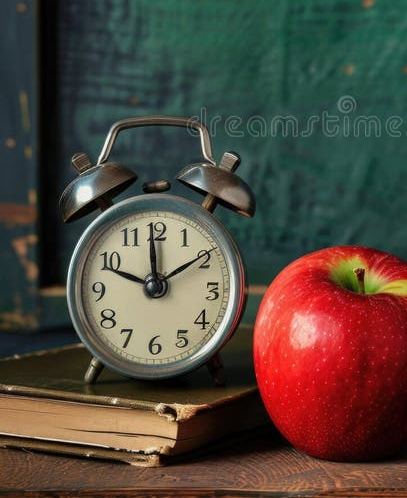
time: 11:48
